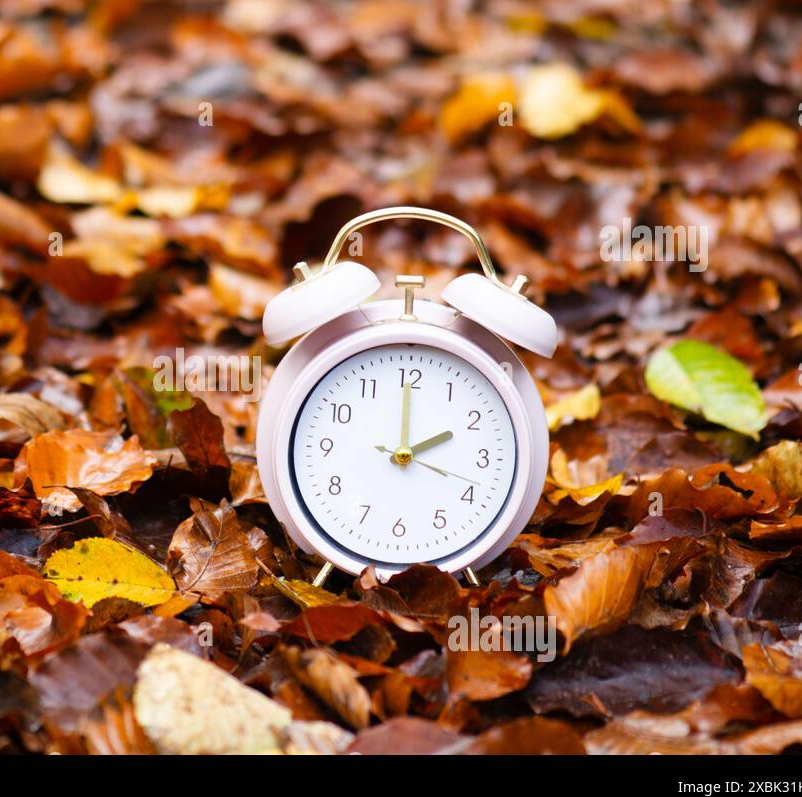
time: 2:00
